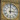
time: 3:00
